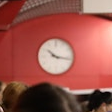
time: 10:17
